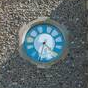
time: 4:32
